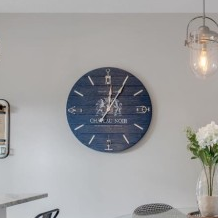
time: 7:05
